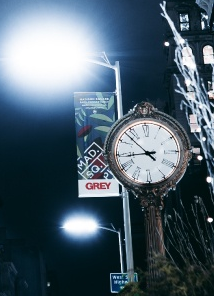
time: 8:52
